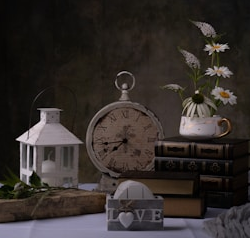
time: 7:43
